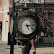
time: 5:14
